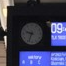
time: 9:34
